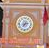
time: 7:13
